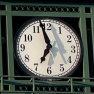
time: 6:57
